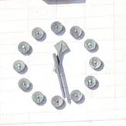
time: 12:28
